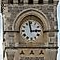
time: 2:58
